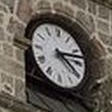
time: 4:12
